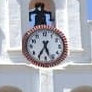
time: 5:35
